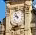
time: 9:57
